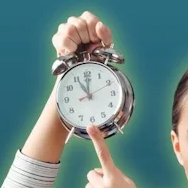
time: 11:00
